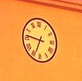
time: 6:46
